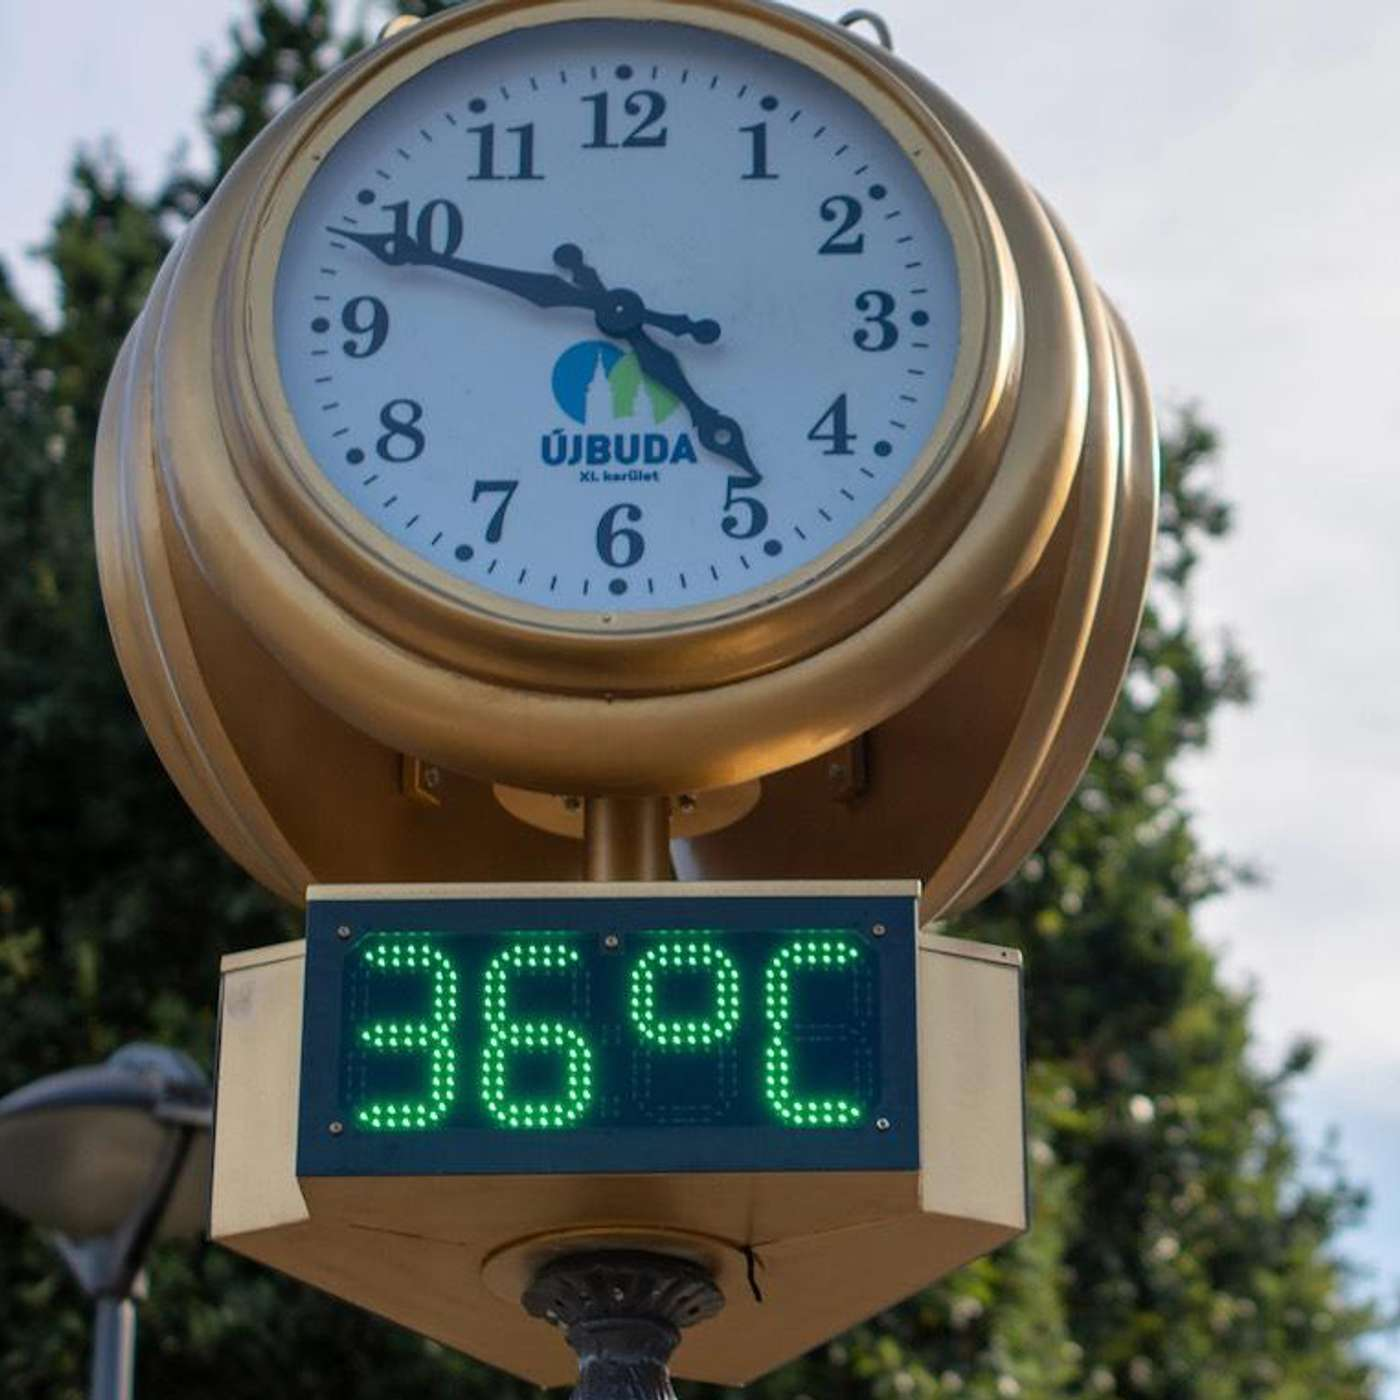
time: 4:48
